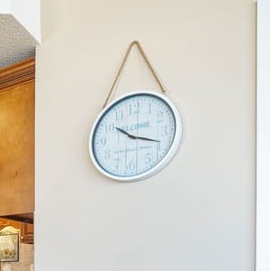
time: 10:18
